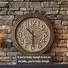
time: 10:30
